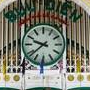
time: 9:38
